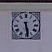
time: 5:28
